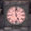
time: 4:59
